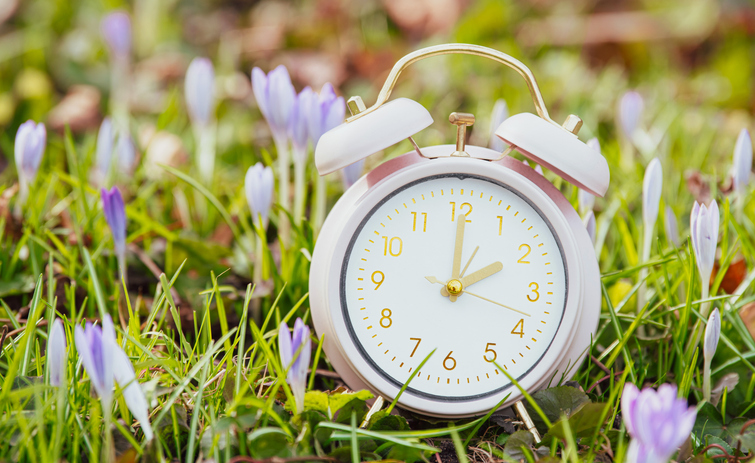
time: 2:00
